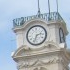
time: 2:33
